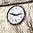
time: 2:48
